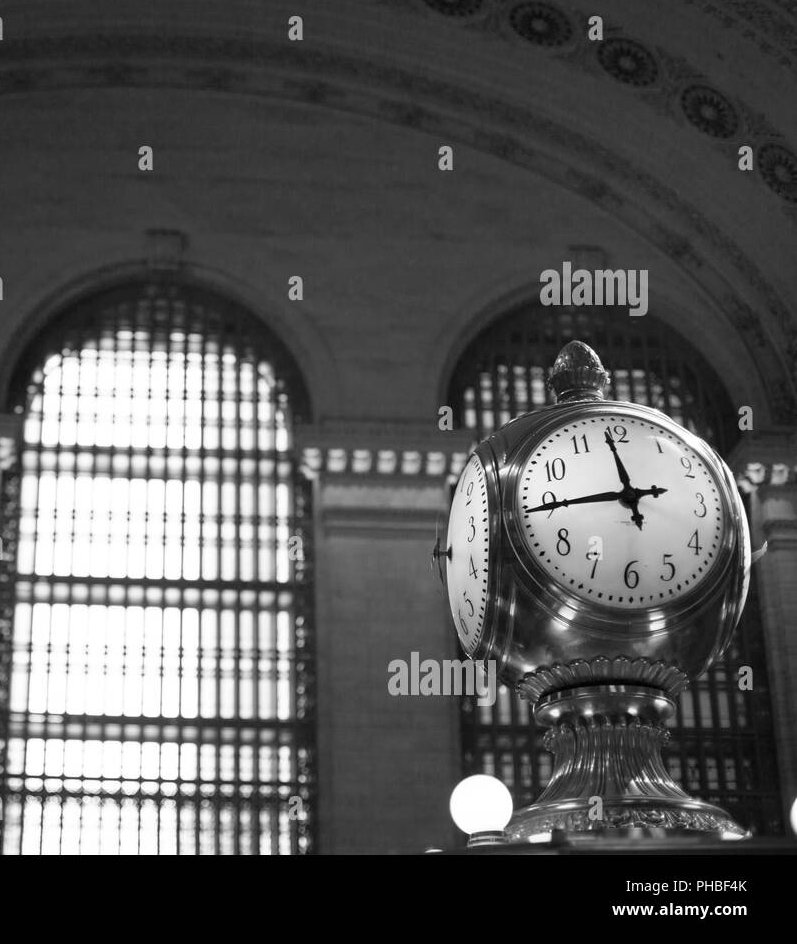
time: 11:44
